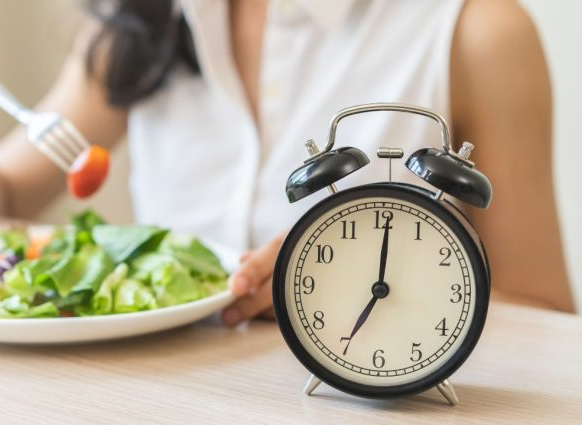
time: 7:00
